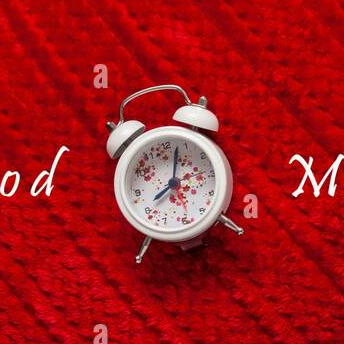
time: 8:02
